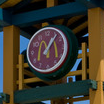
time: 1:06
